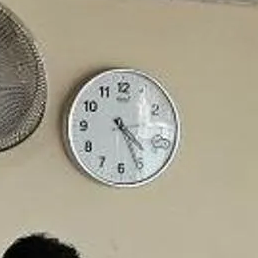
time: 4:25
